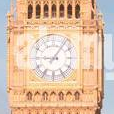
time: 9:05
